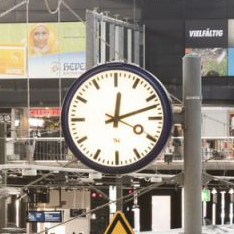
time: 12:12
